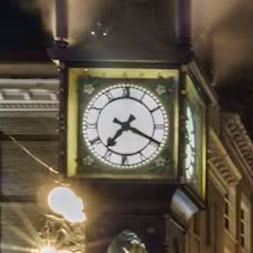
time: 7:19
